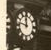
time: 11:46
